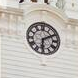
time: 6:10
